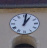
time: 1:01
